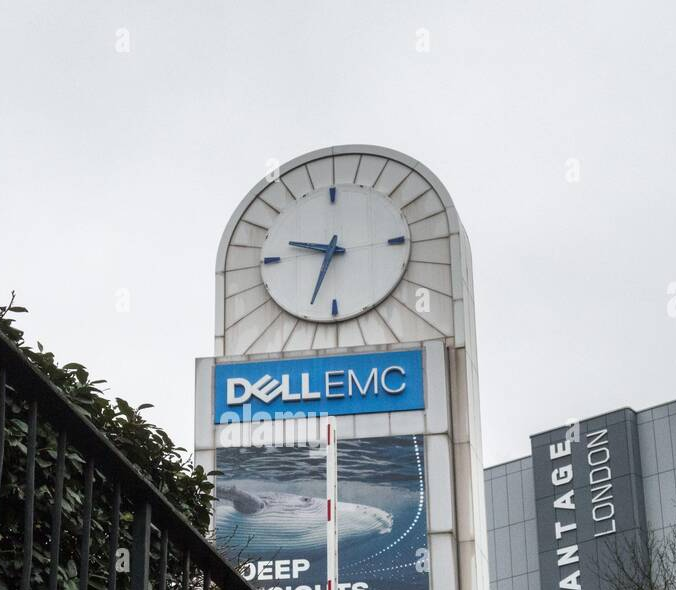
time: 9:33
